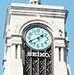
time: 1:40
